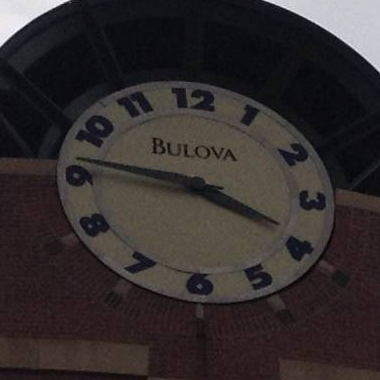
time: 3:46
